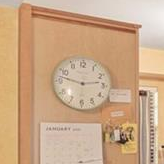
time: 2:47
